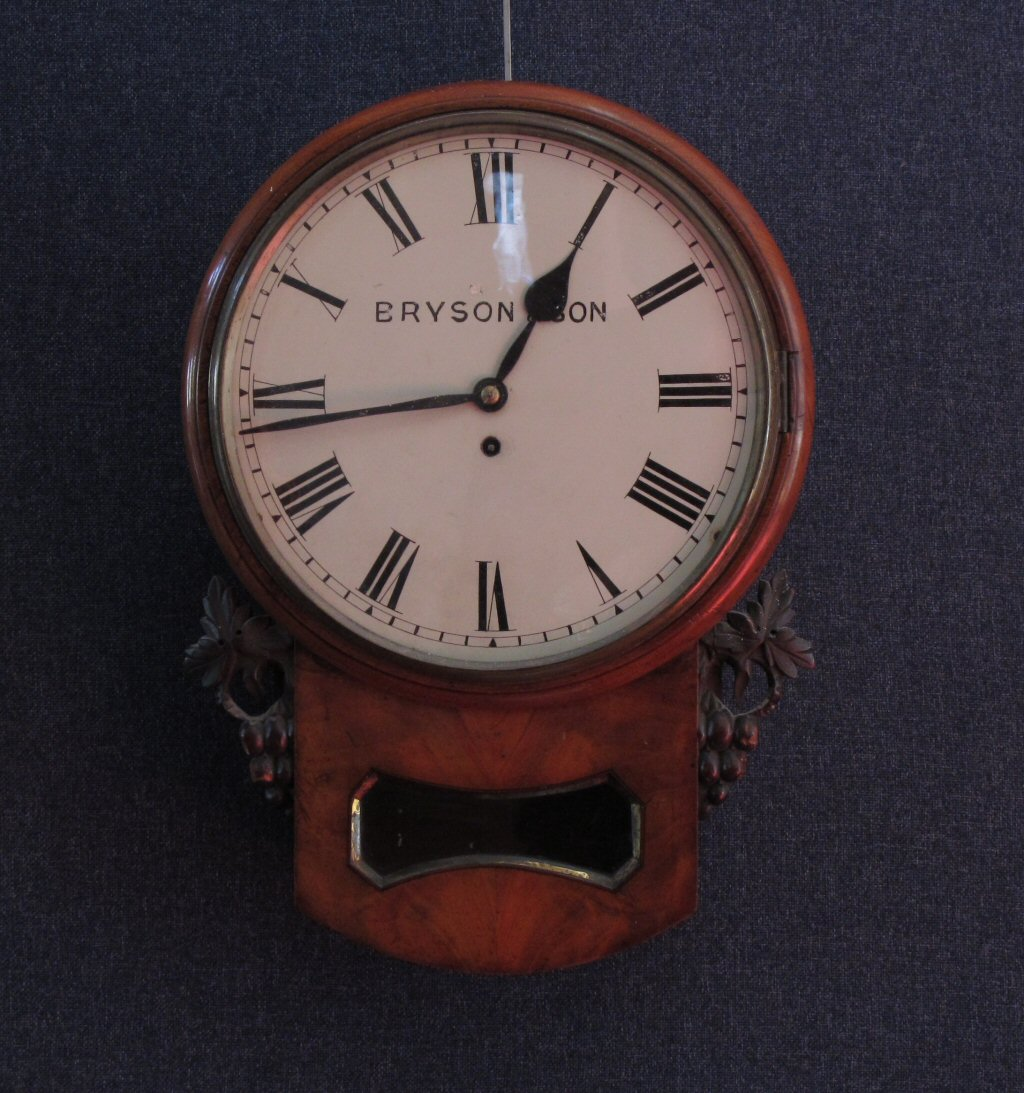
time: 12:43
